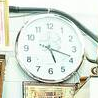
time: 5:18
